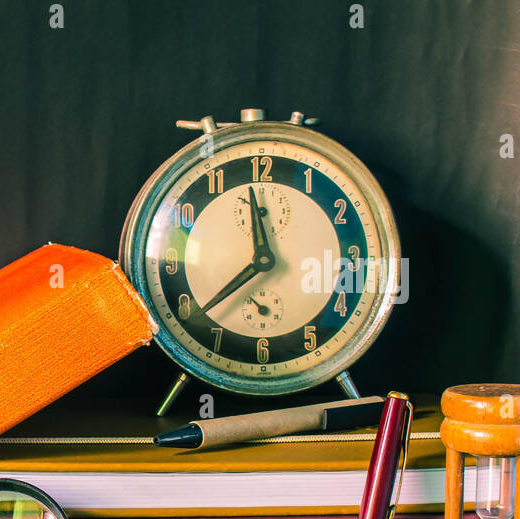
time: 11:38
